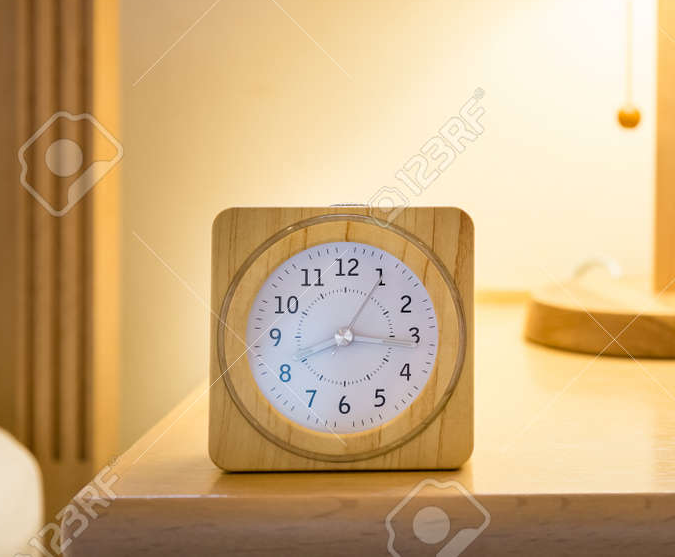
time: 8:15
